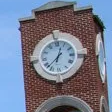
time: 12:37
